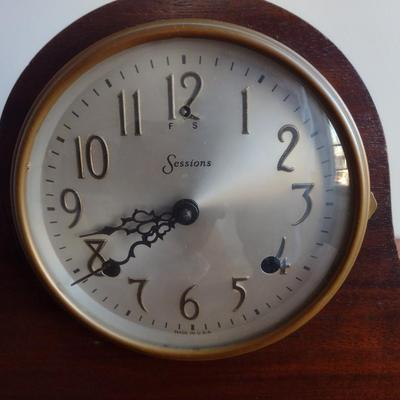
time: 7:42
